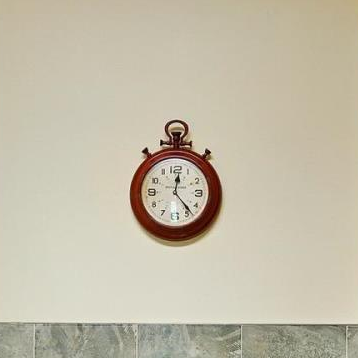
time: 12:23
